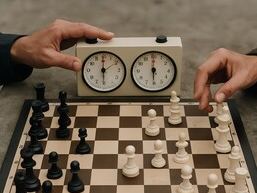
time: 6:00
